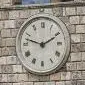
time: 1:47
